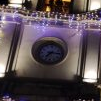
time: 7:15
